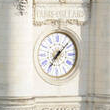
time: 7:07
